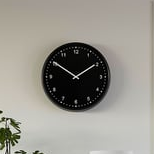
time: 1:50
